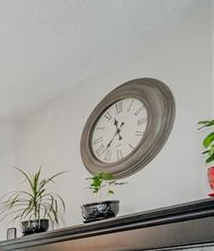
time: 11:37
